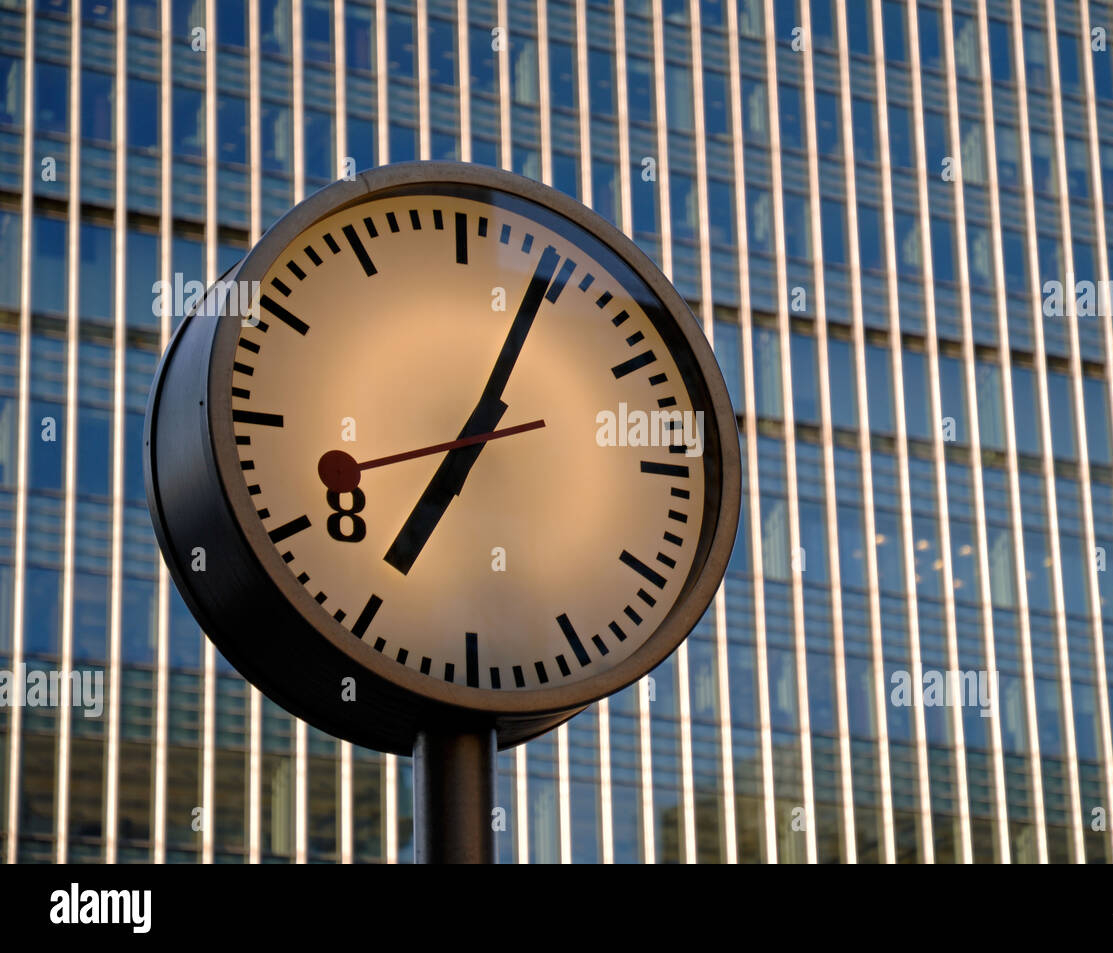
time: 7:04
